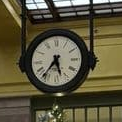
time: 5:36
